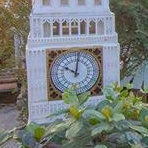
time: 10:00
